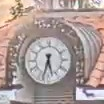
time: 5:33
